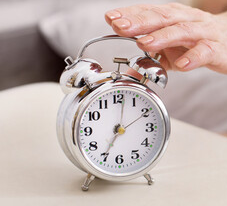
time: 7:01
